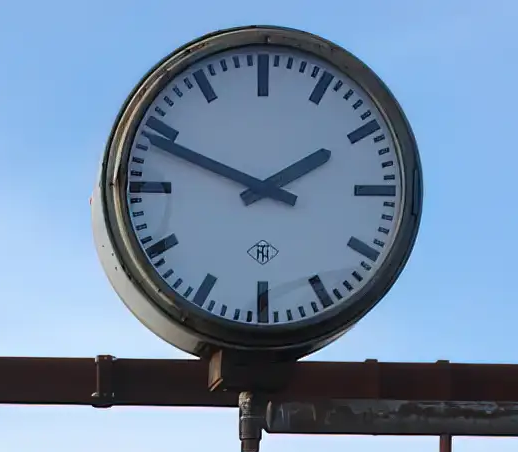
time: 1:48
